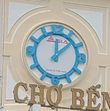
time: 12:07
